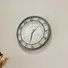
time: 1:32
